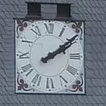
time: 2:09
